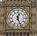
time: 12:26
